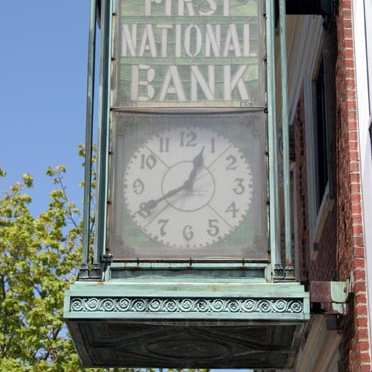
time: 12:40
